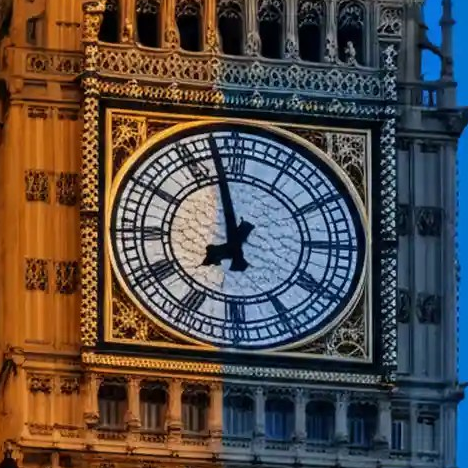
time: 6:57
